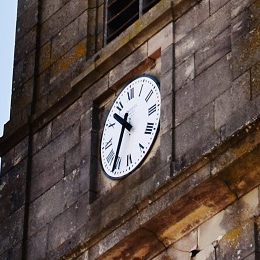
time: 10:34
